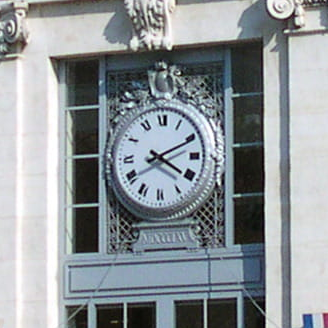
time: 4:10
